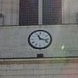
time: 11:17
